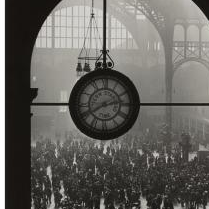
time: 2:40
